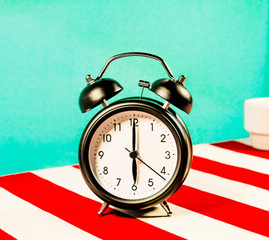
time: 6:00
